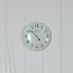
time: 4:52
